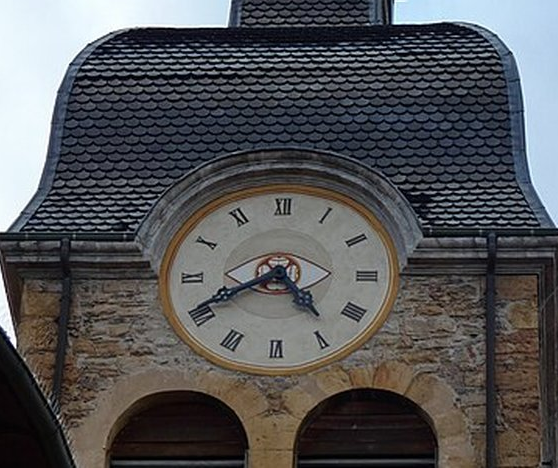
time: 4:40
